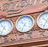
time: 4:35
